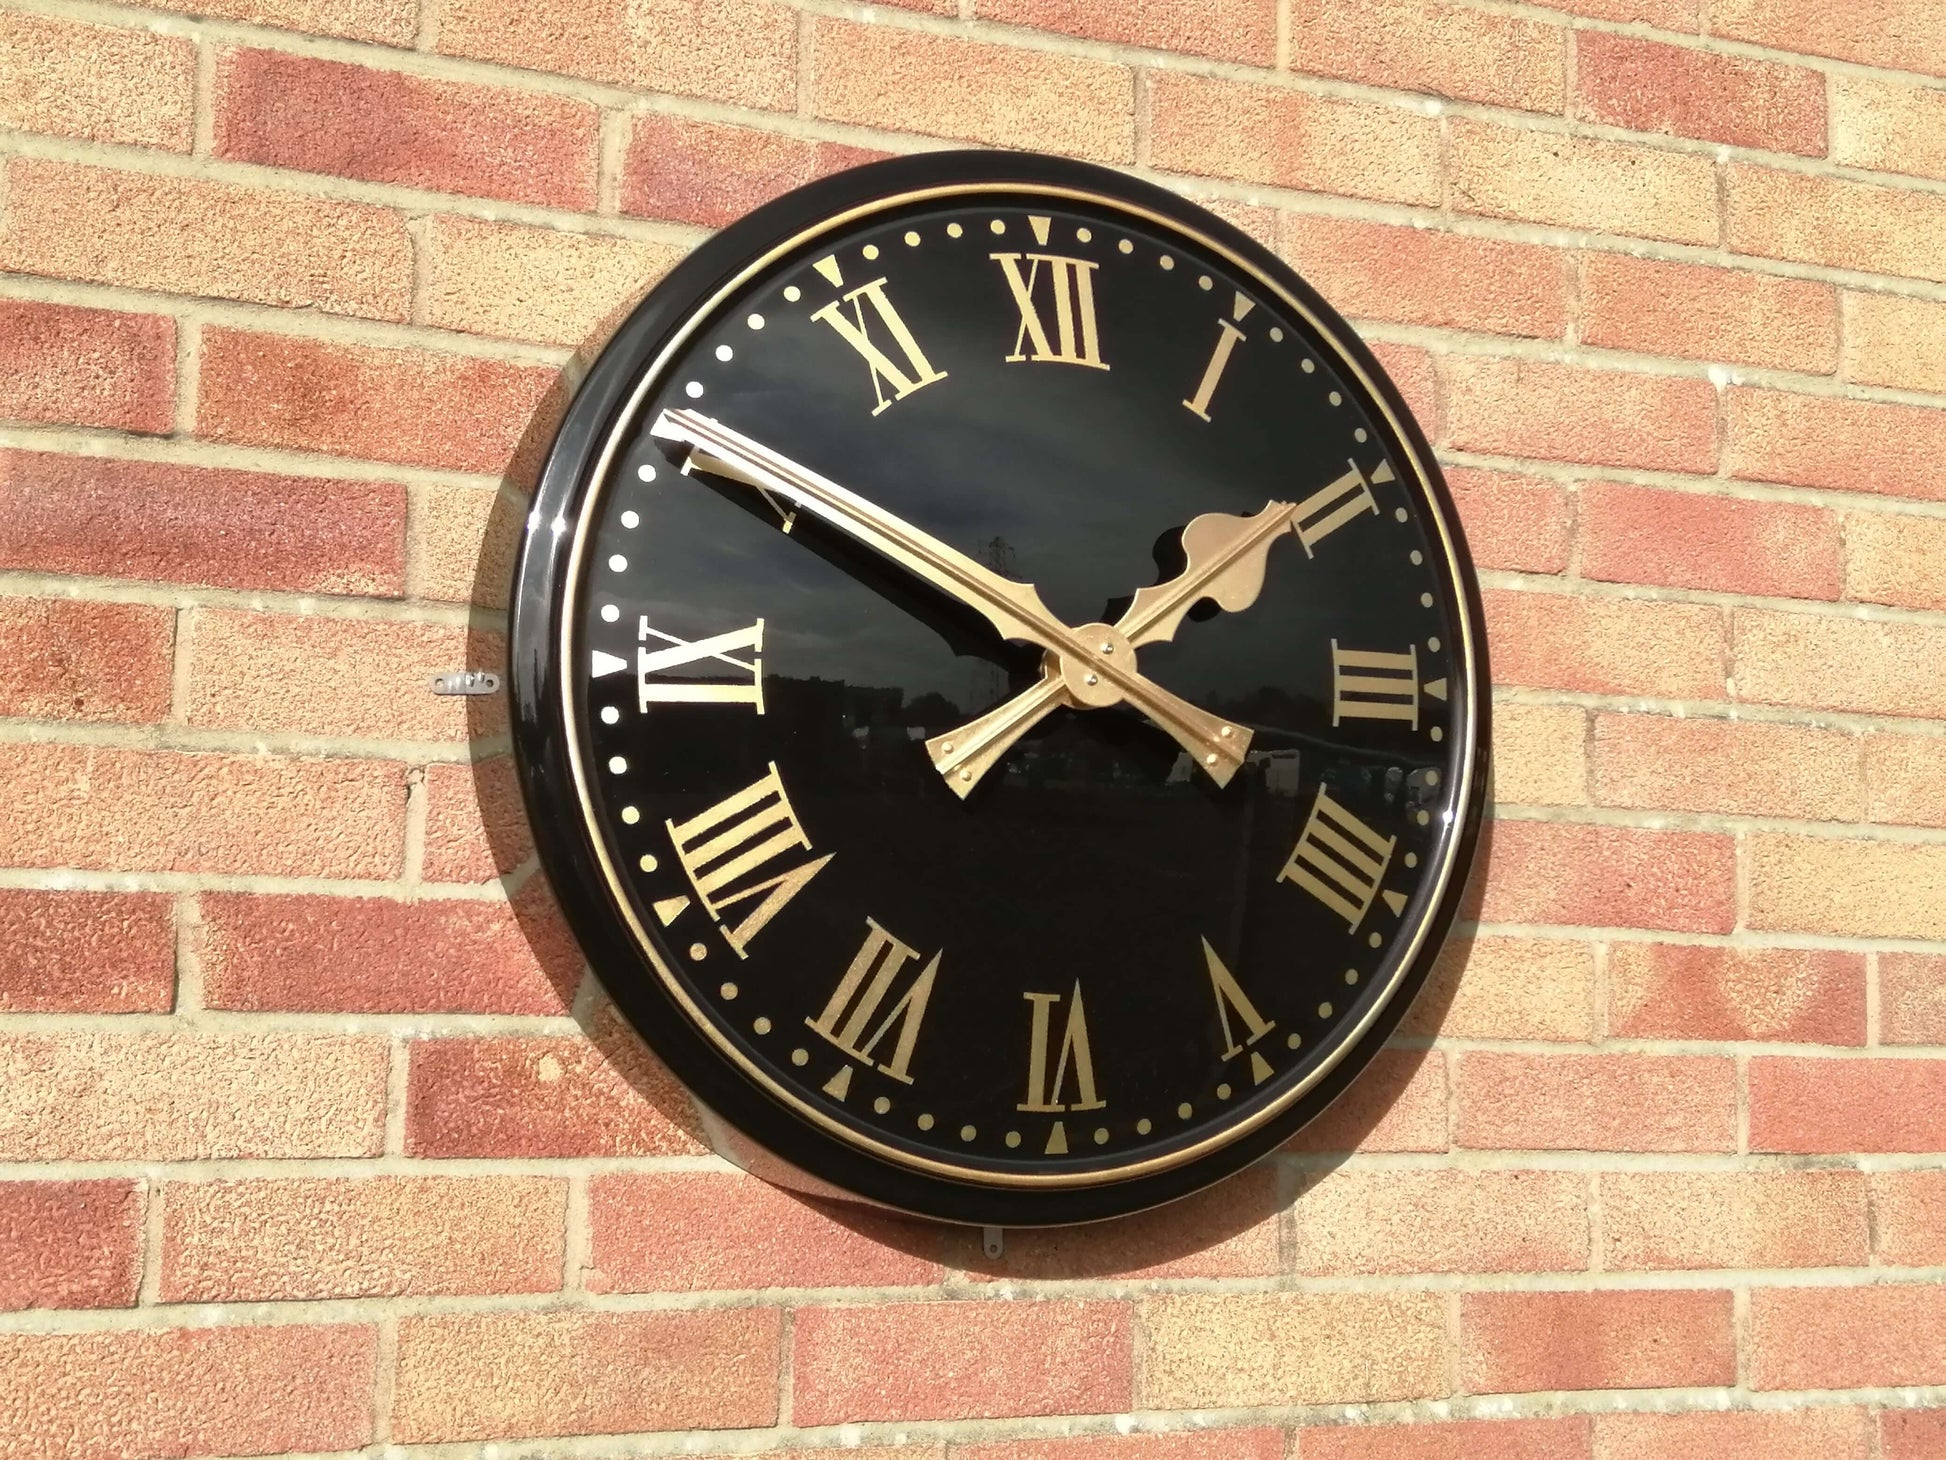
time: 1:50
